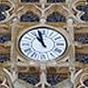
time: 10:57
